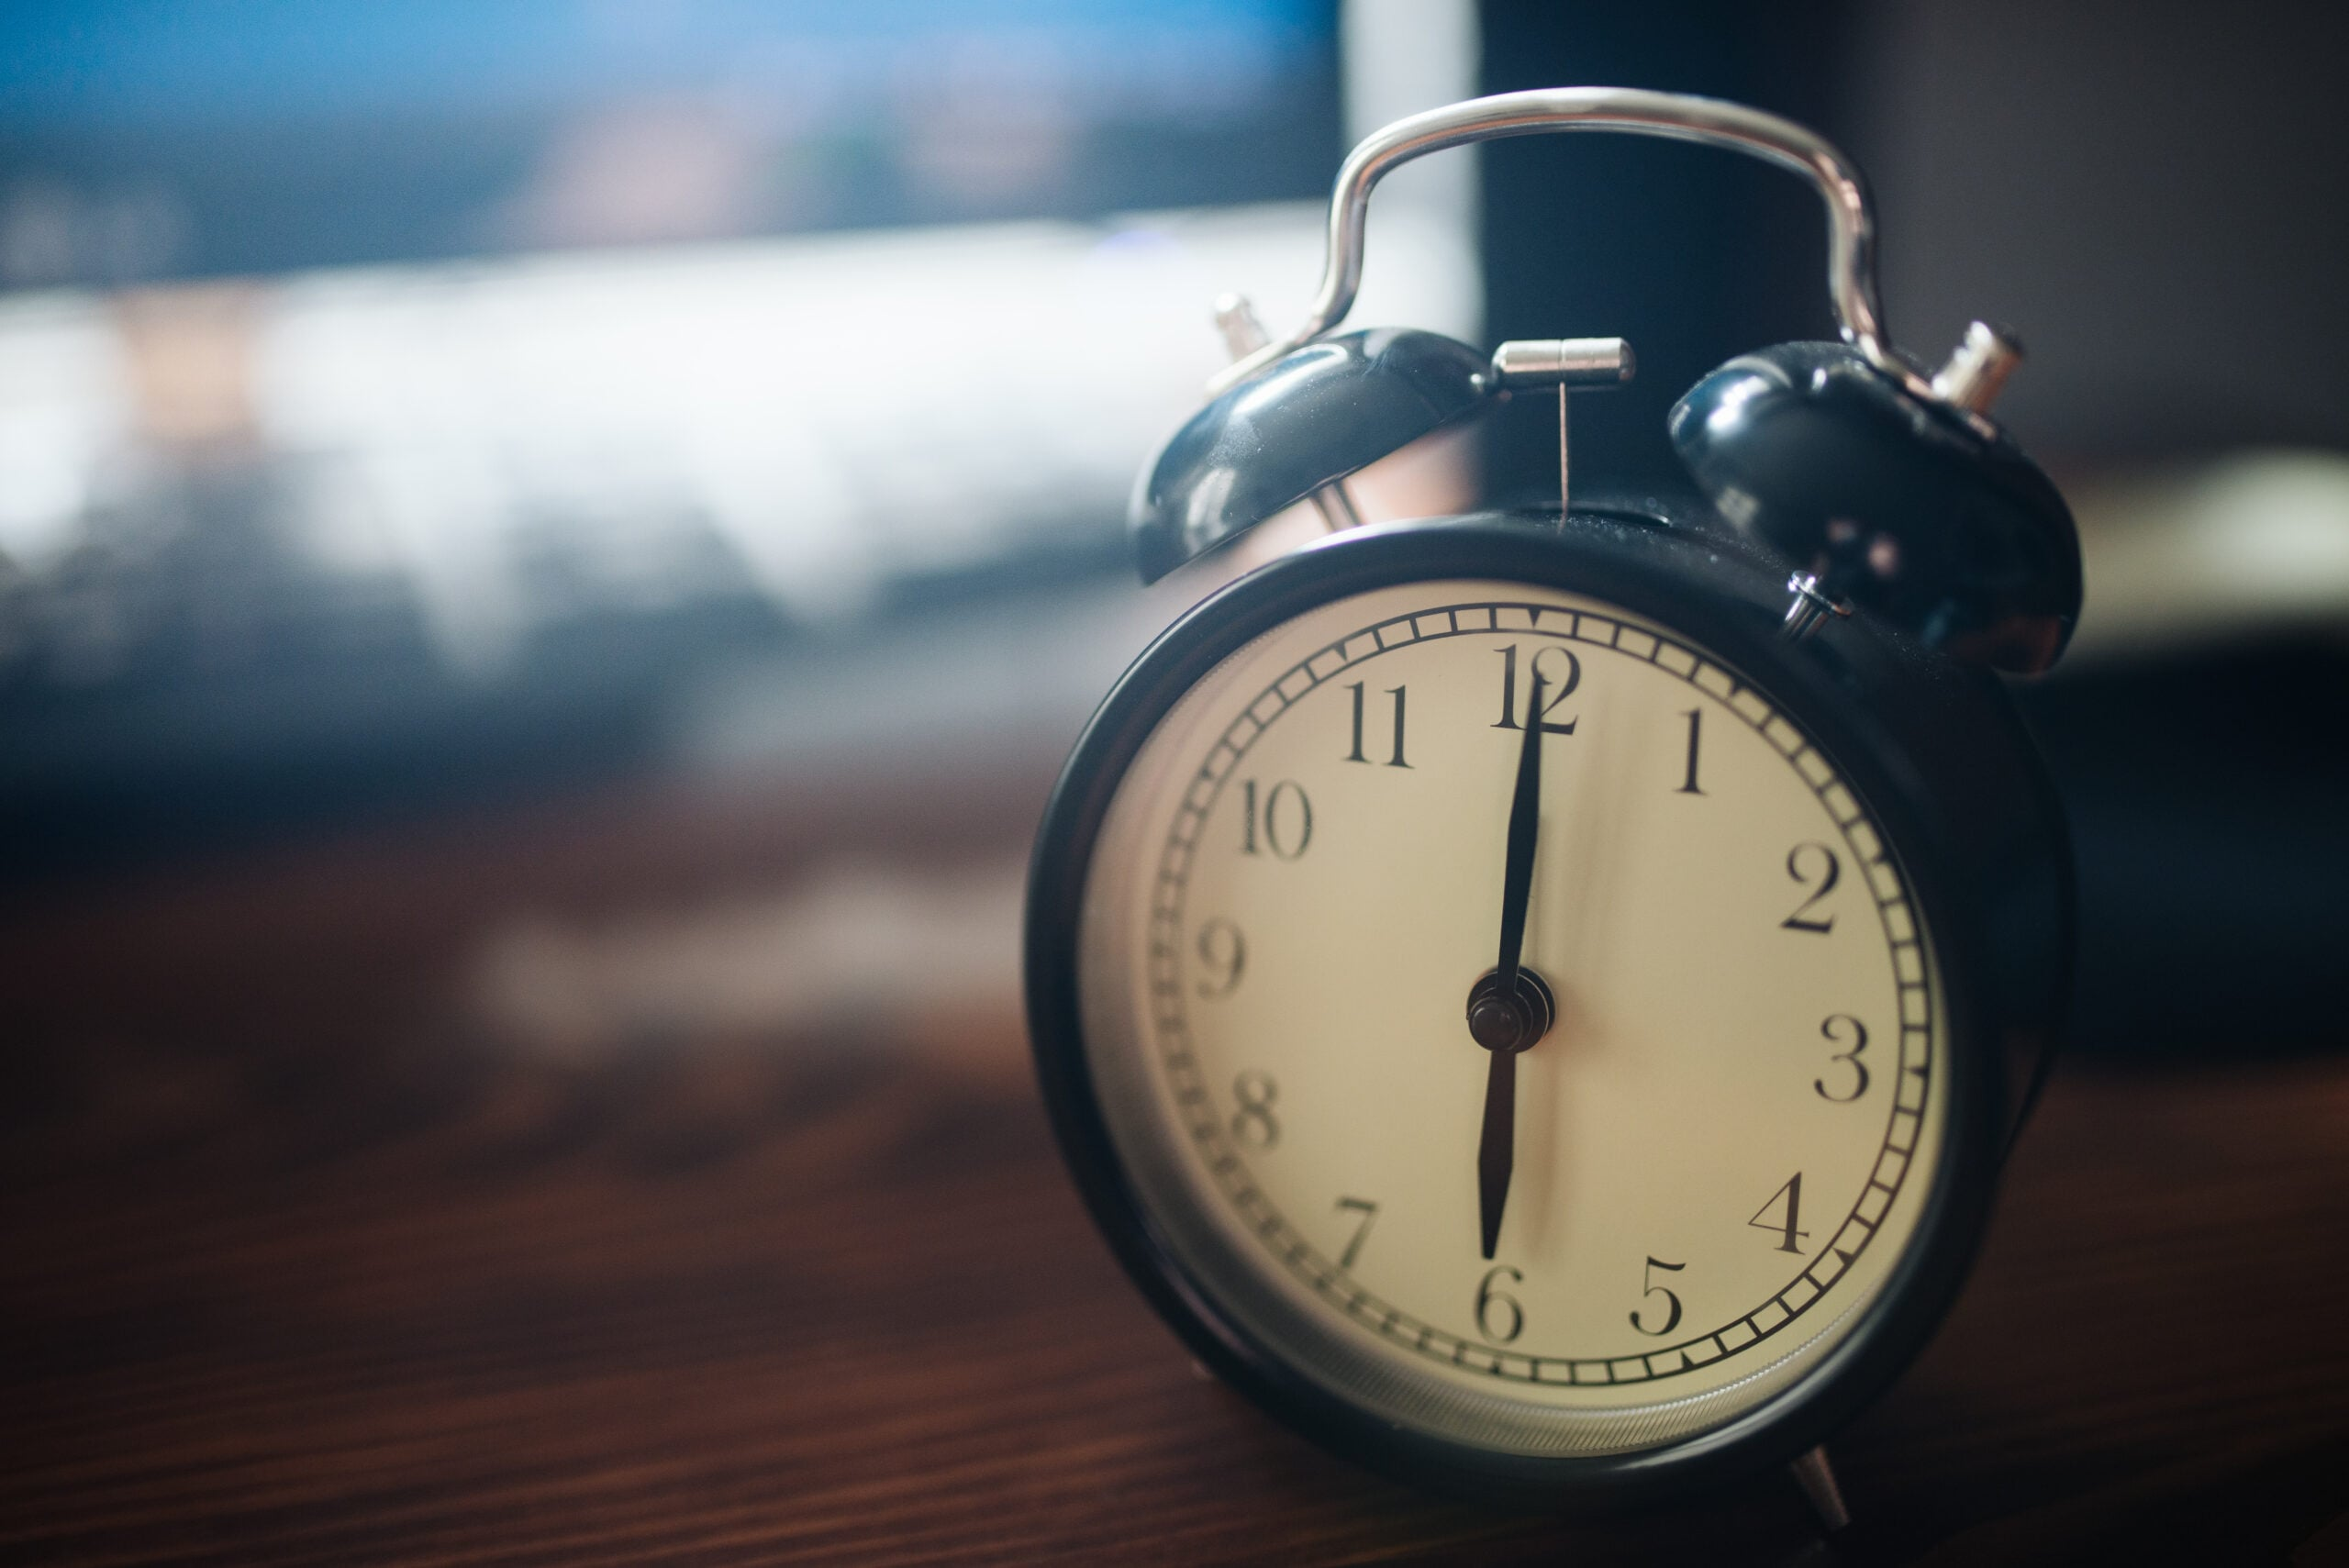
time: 6:00
